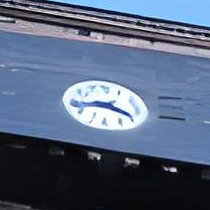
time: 3:43
